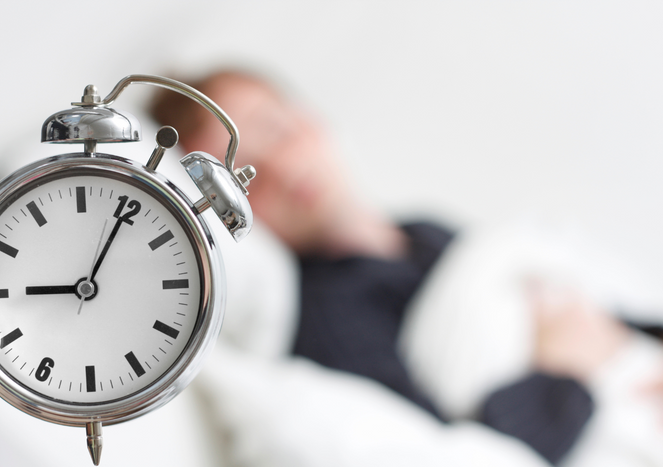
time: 9:05
